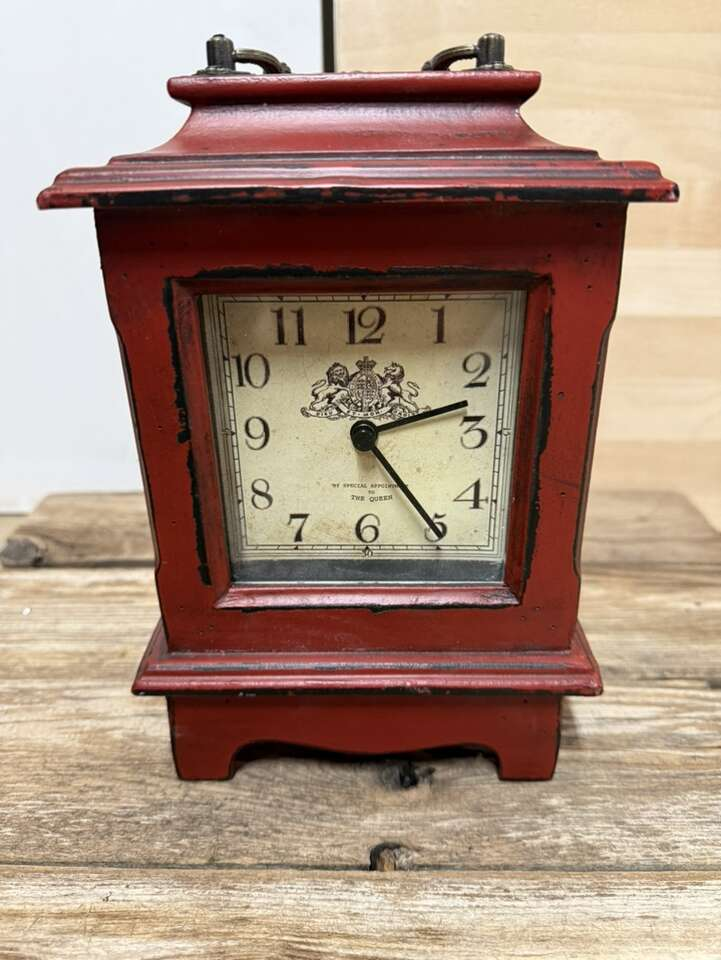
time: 2:23
